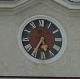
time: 5:35
